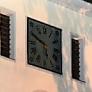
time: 5:49
